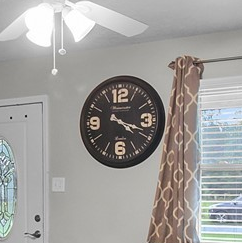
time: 4:18
